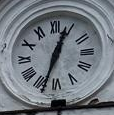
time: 12:33
